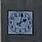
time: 2:02
